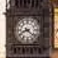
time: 8:21
